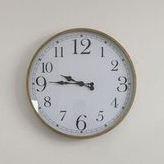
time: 9:45
